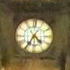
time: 4:35
